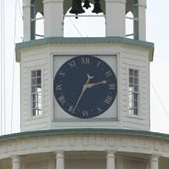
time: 2:34
